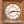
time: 8:14
